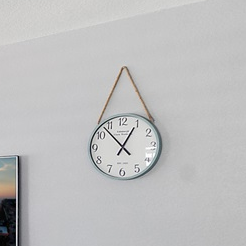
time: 12:53
